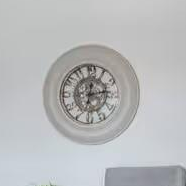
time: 12:13
